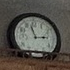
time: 2:57
